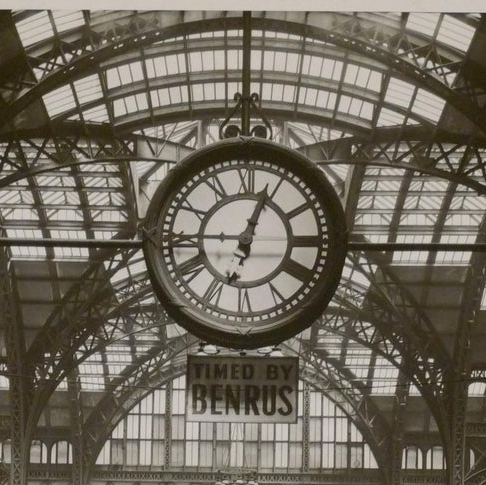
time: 12:45
